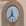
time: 11:37
